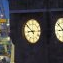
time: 8:52
